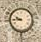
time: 9:44
